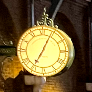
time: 7:04
